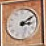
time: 3:09
